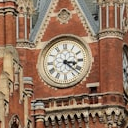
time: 3:21
